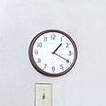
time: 1:19
